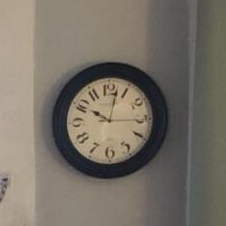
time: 10:02
